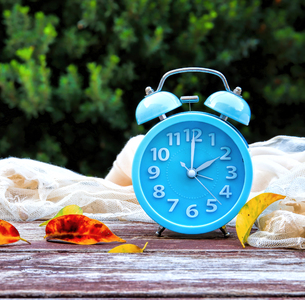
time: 2:00
